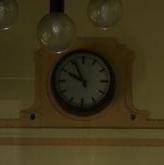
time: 9:55
